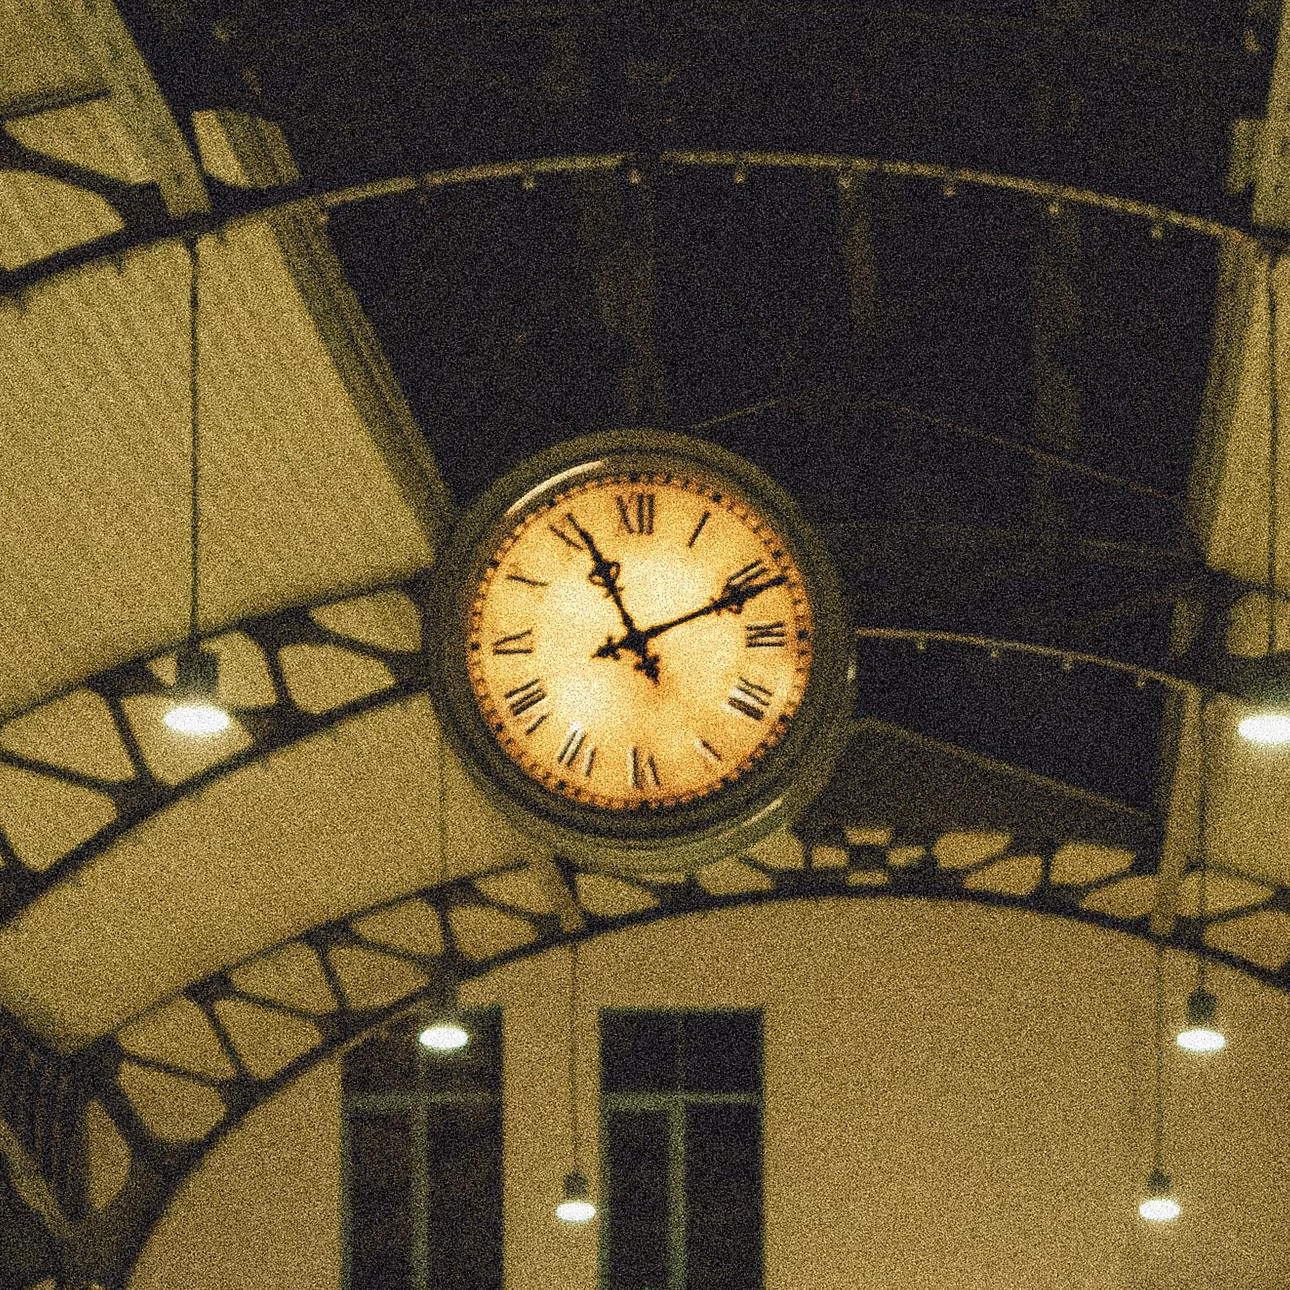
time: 11:11
